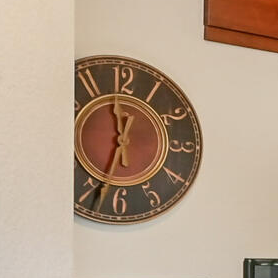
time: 11:33
